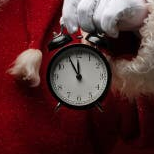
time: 11:55
